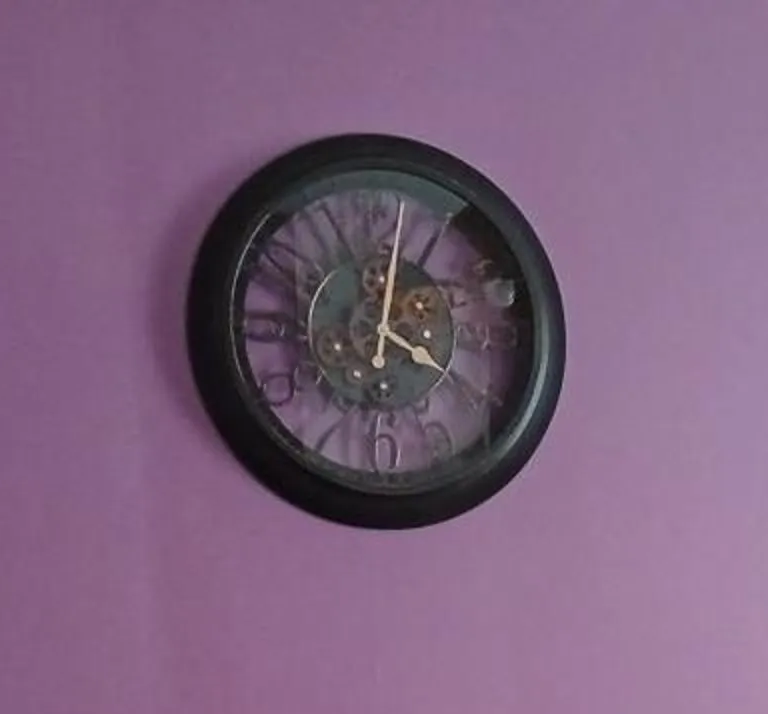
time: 4:01
